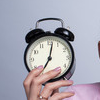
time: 7:02
